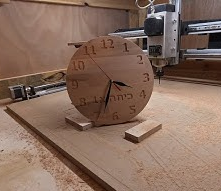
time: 3:33
